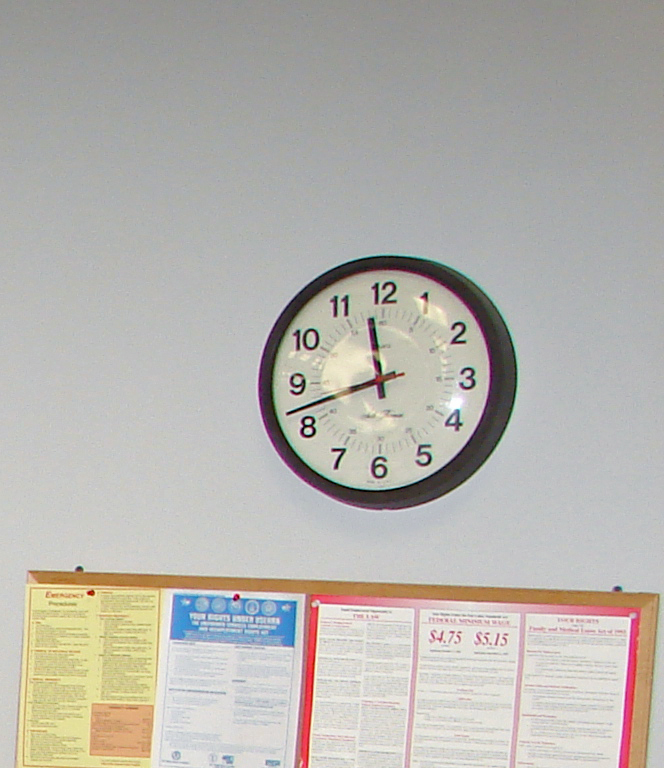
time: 11:42
